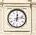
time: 12:12
